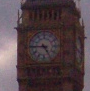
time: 4:45
